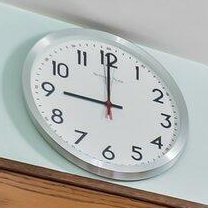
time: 8:59
